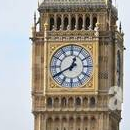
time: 12:40
